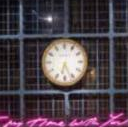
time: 6:26
